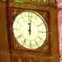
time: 12:01
